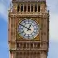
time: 12:49
